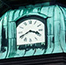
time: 3:40
